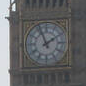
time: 1:56
